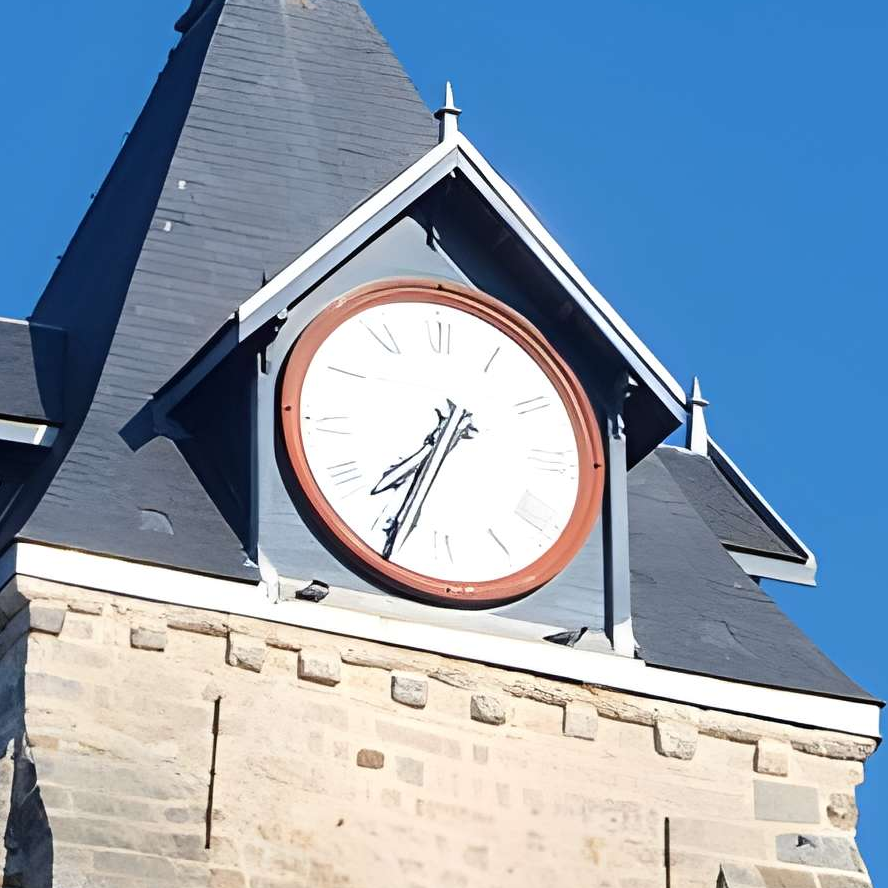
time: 7:34
